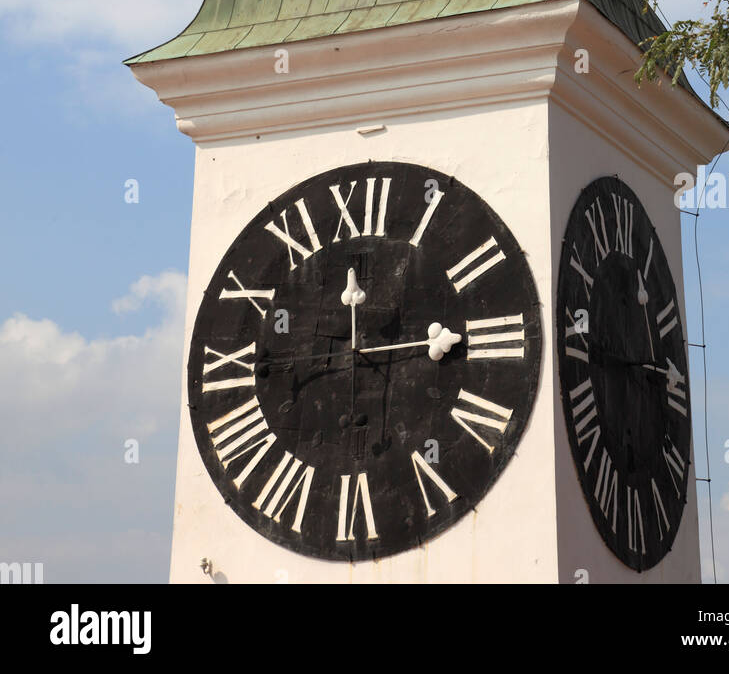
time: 12:14
